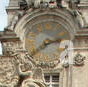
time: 2:38
